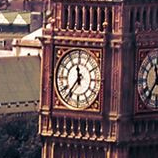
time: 11:36
